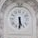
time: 5:30
